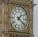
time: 1:21
